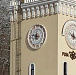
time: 11:46
